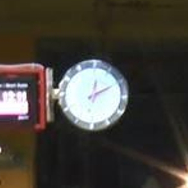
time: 12:10
